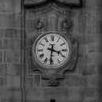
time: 3:31
